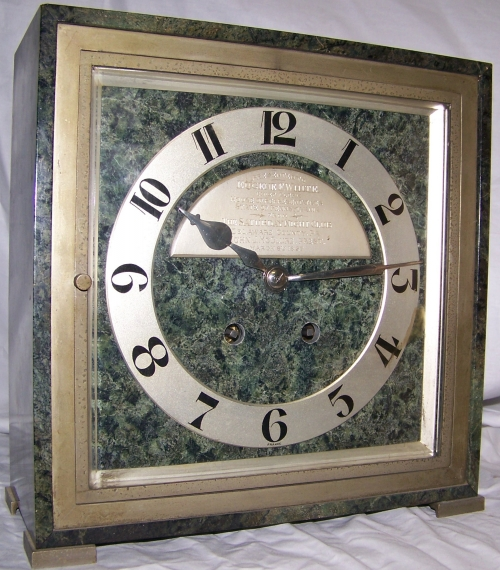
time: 10:14
